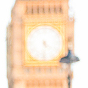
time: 4:31
